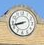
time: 8:42
